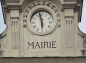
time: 5:57
